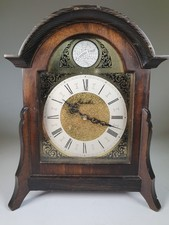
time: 10:18
